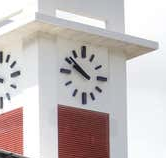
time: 9:51
